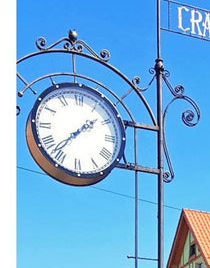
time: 1:36
